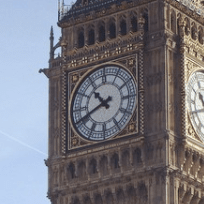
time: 10:41
